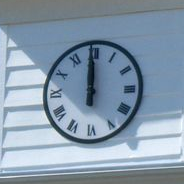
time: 11:59
